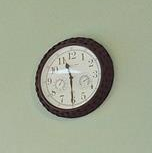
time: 11:29
